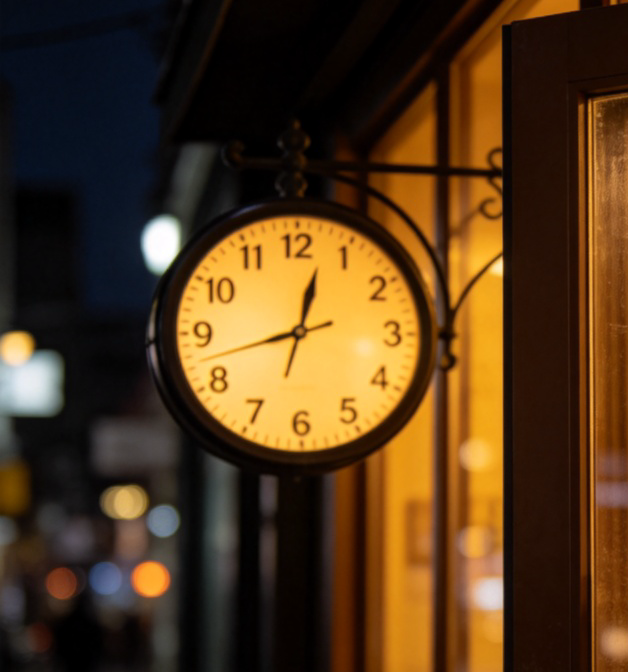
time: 12:42
